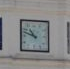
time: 10:48
